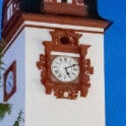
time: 5:11
